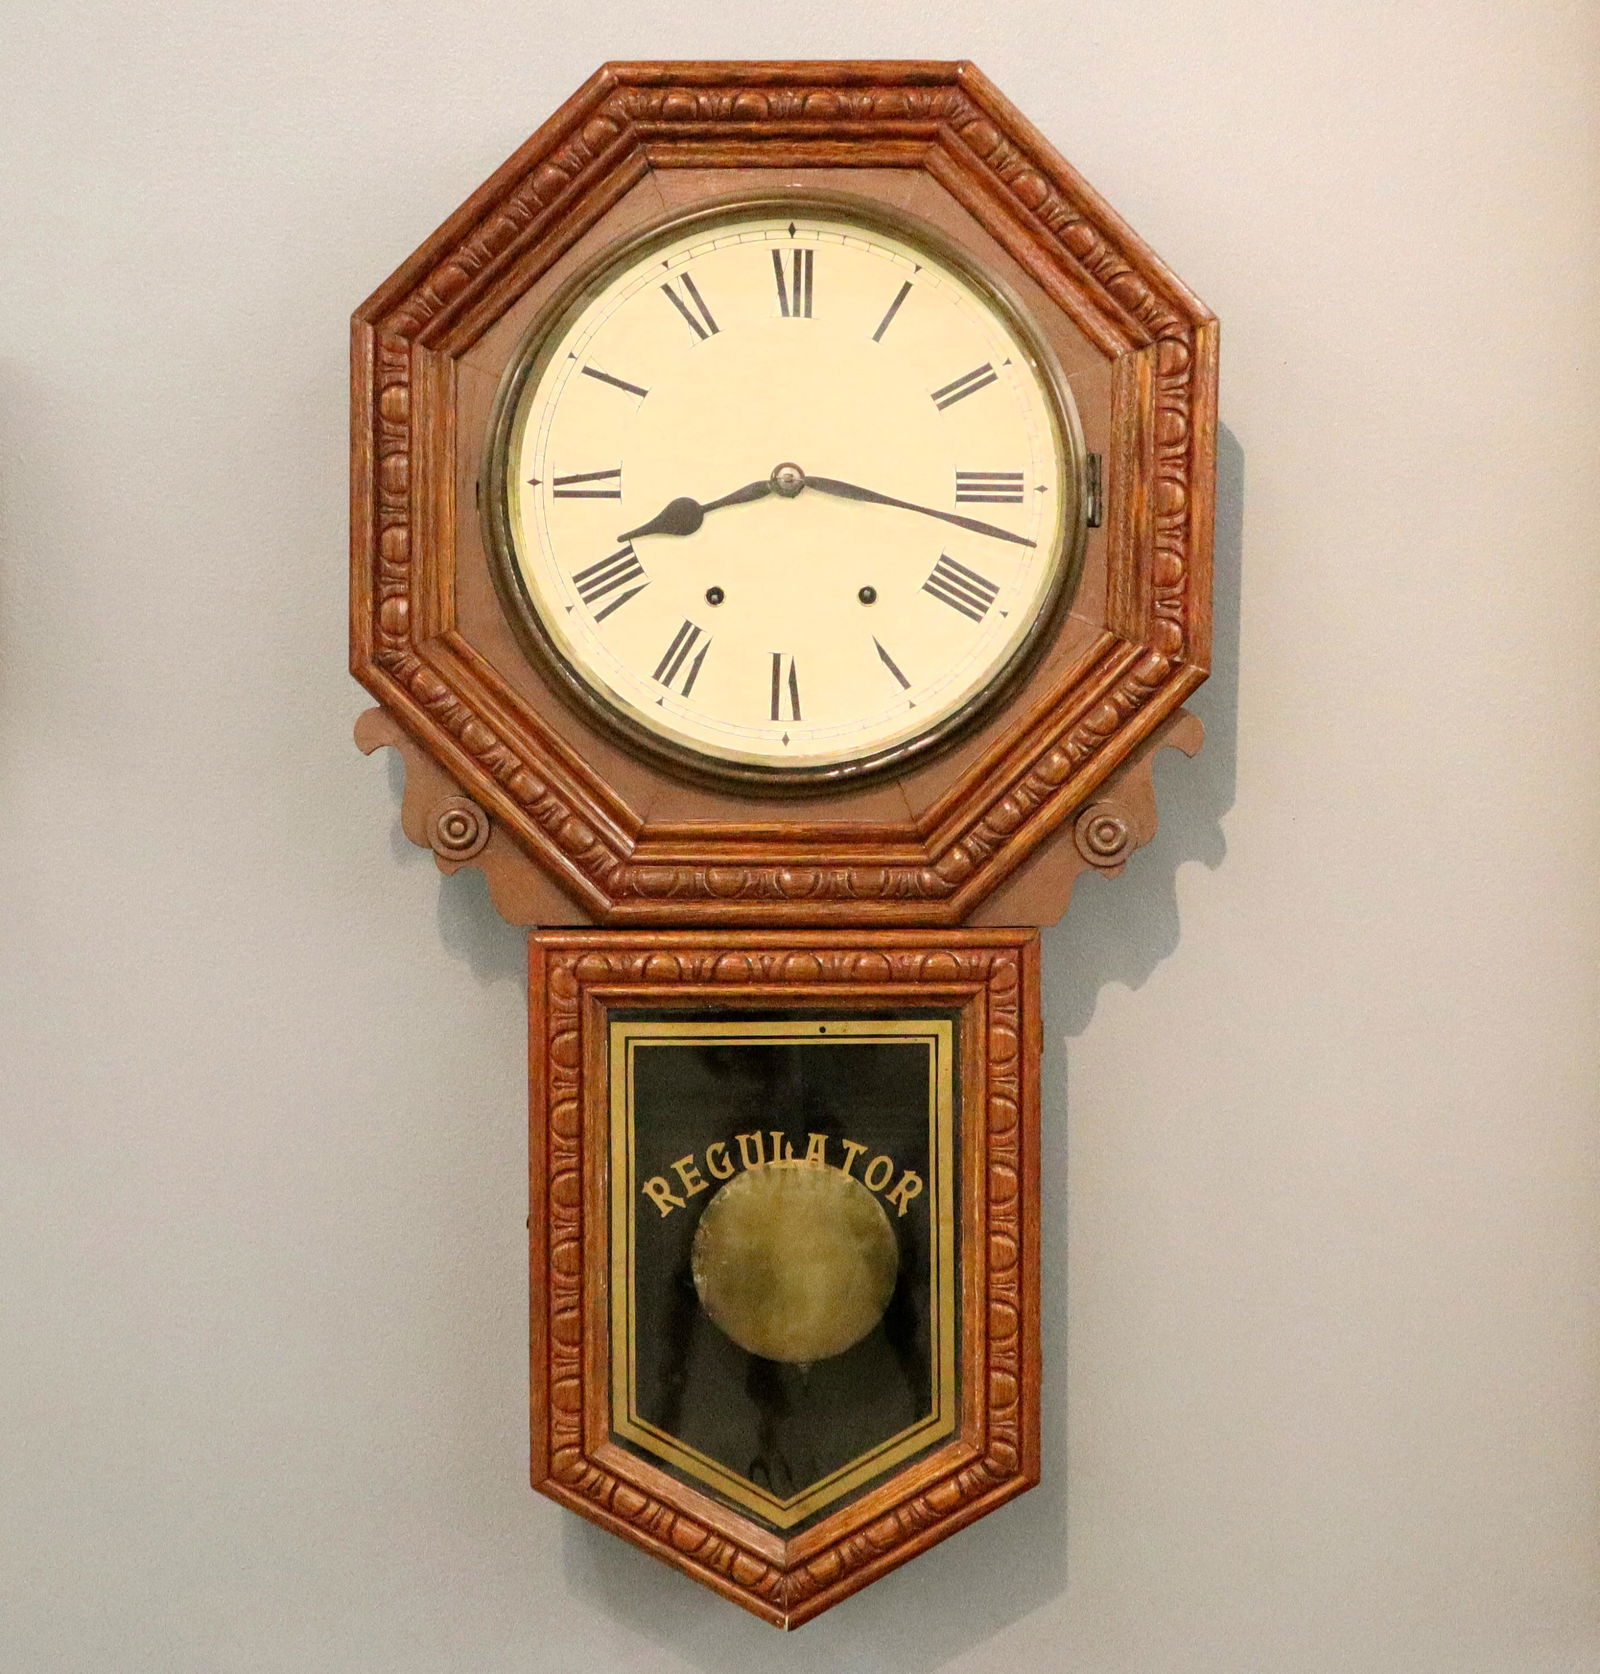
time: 8:16
